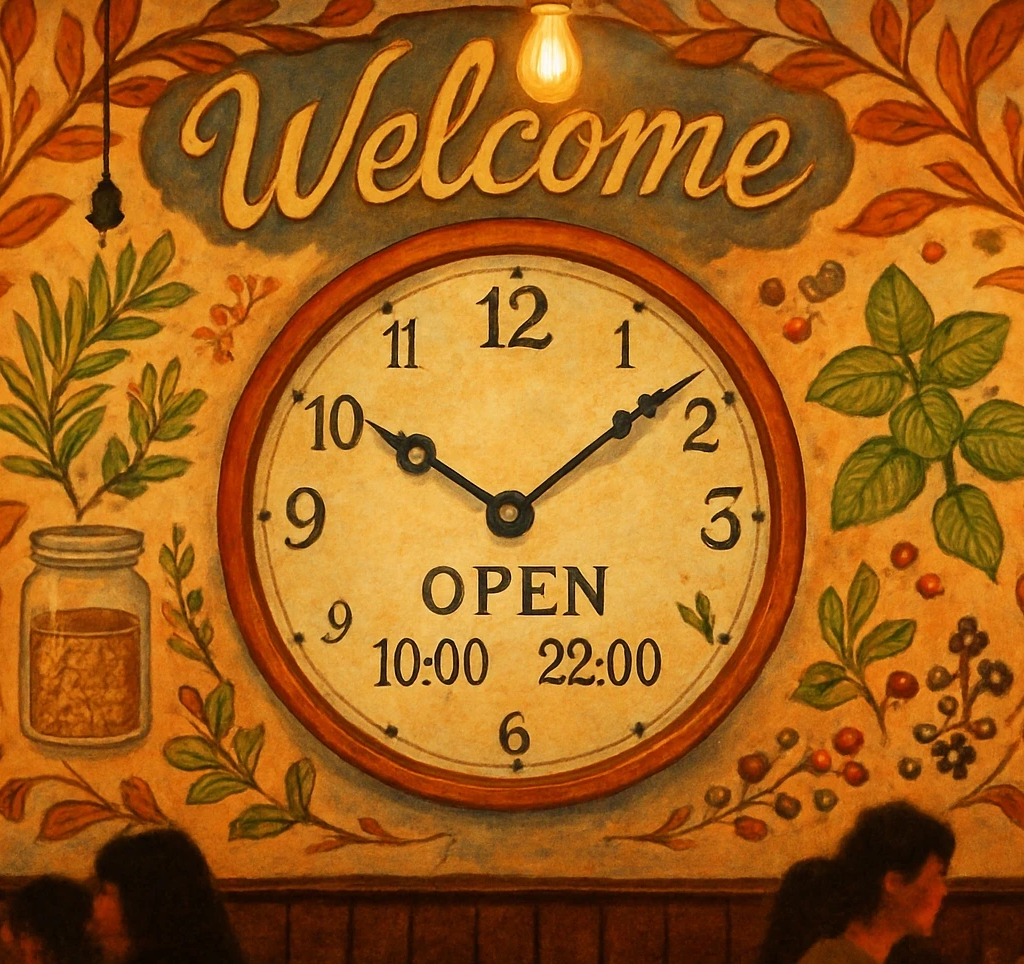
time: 10:08
